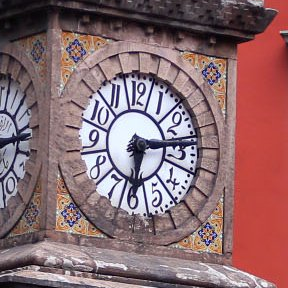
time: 6:14
